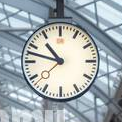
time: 10:47
